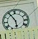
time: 5:54
